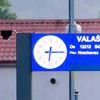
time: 6:15
